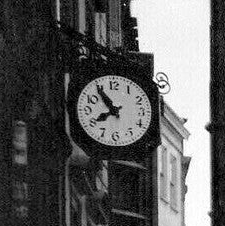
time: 7:54
